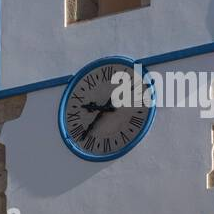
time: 9:38
